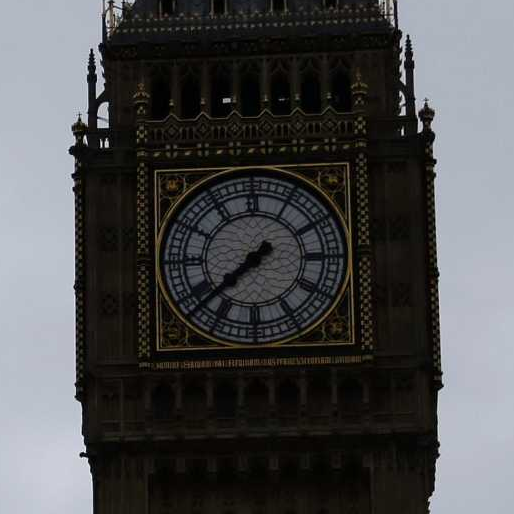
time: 7:37
